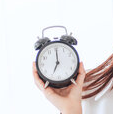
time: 7:00
